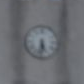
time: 5:31
